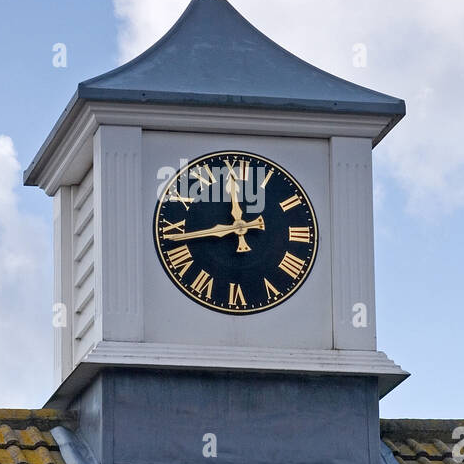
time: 11:43
